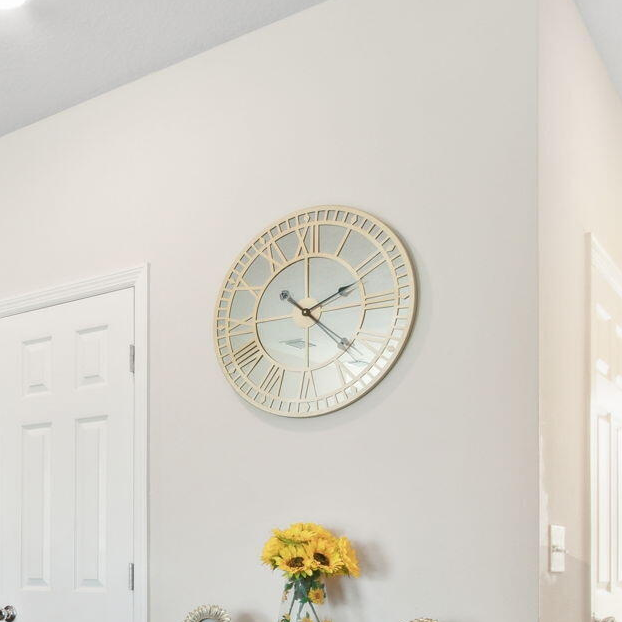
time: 2:21
